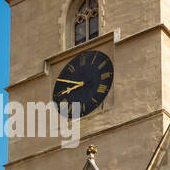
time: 8:49
